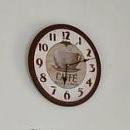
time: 6:11
